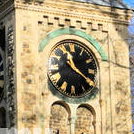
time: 11:20
